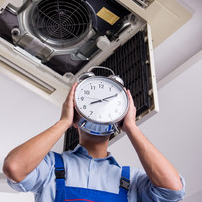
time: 8:10
